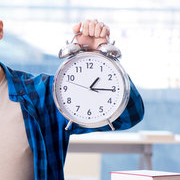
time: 1:15
